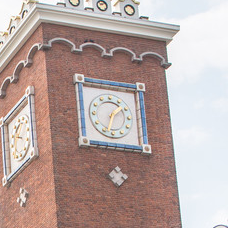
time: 1:33
